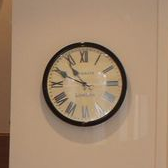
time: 10:49
